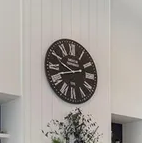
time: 9:42
